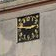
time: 2:45
